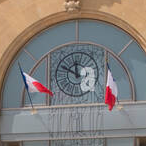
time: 11:49
